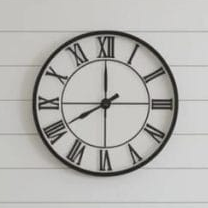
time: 7:59
